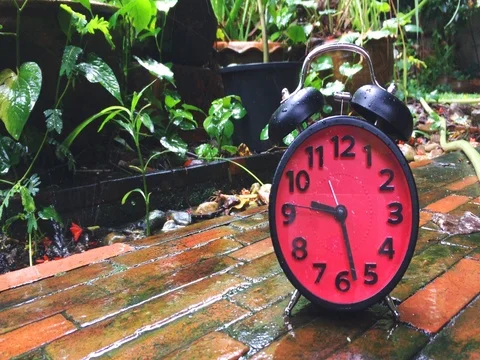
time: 9:27
